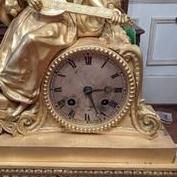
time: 5:14
